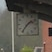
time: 1:36
